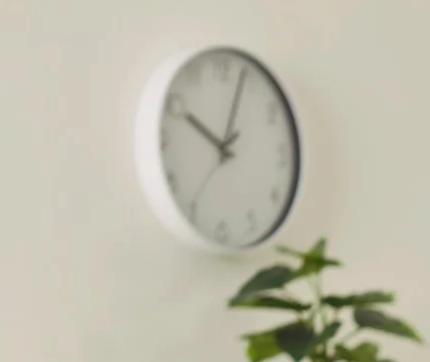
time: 10:03
